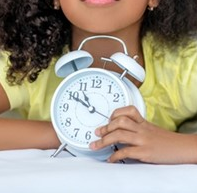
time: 10:49
